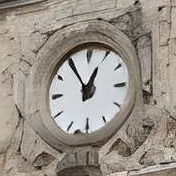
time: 12:54
